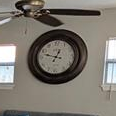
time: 12:47
